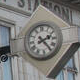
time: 2:23
